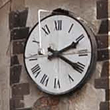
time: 2:20
